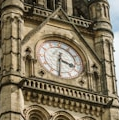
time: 3:31
